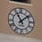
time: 11:08
